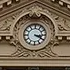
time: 3:19
